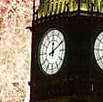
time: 12:10
